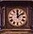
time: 12:09
